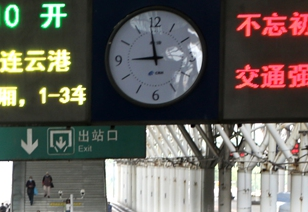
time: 8:59
